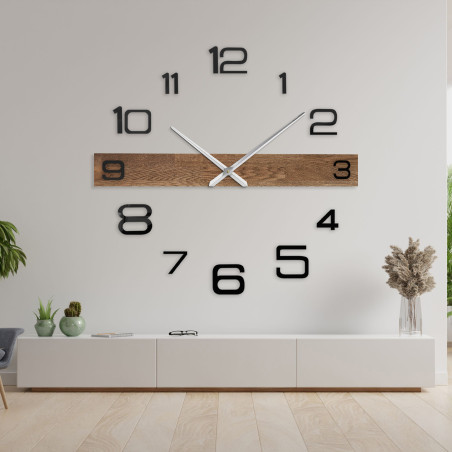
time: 9:15
